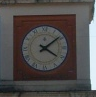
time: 4:08
